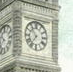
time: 10:36
